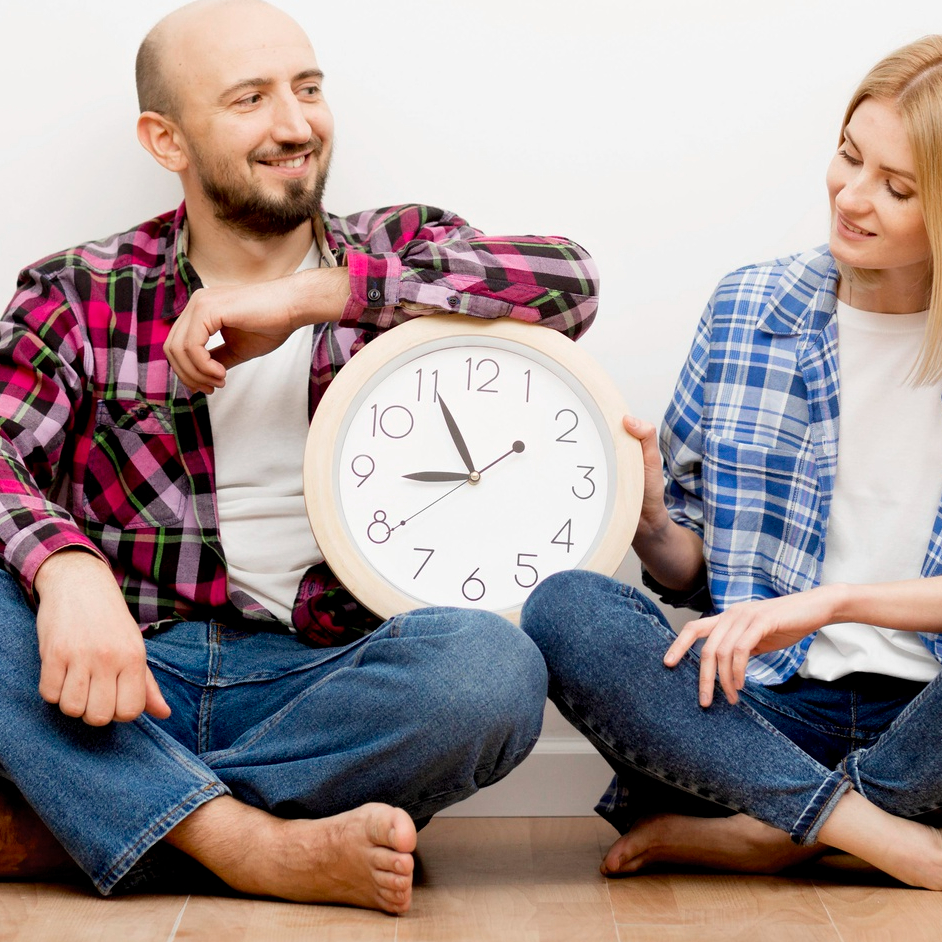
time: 8:55
